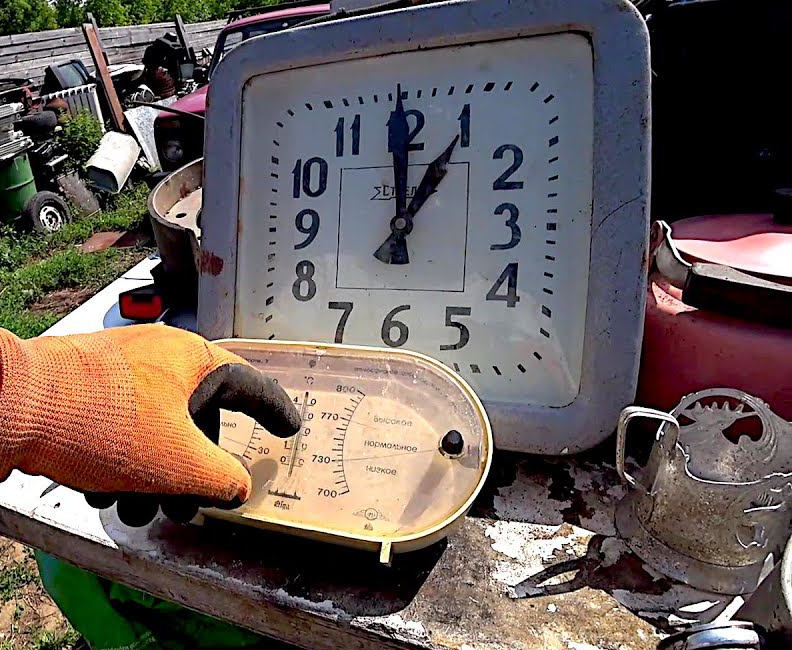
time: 12:59
